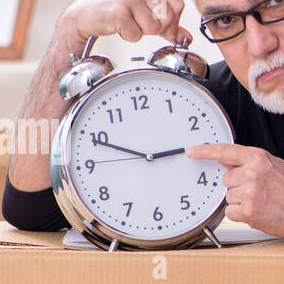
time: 2:49
